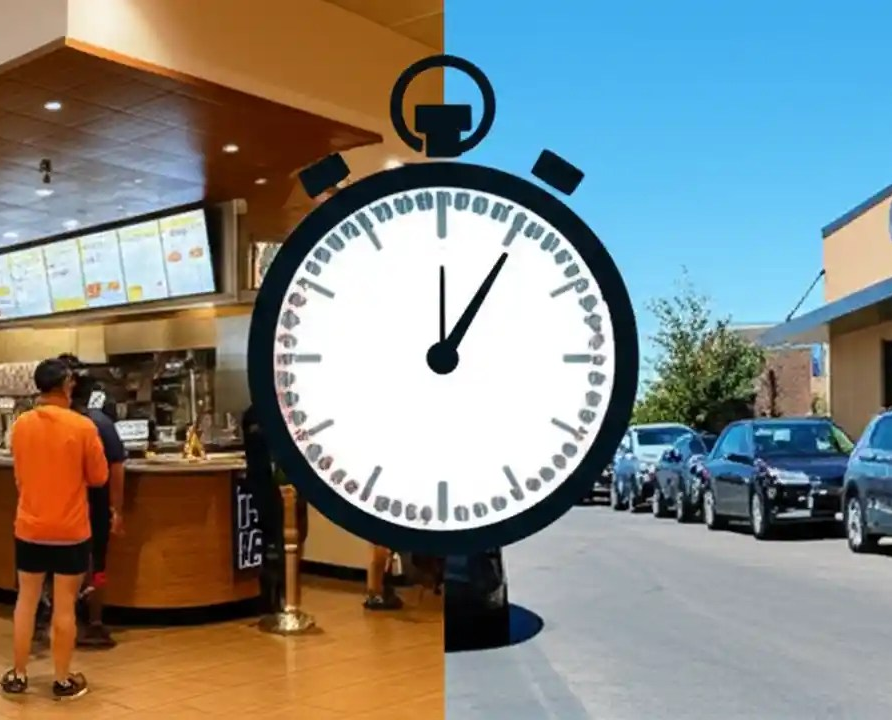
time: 12:05
